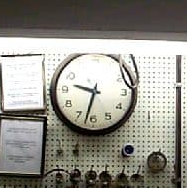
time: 9:32
